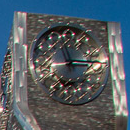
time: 2:56
